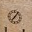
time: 7:06
